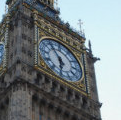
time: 5:54
